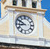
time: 8:50
